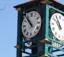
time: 10:53
